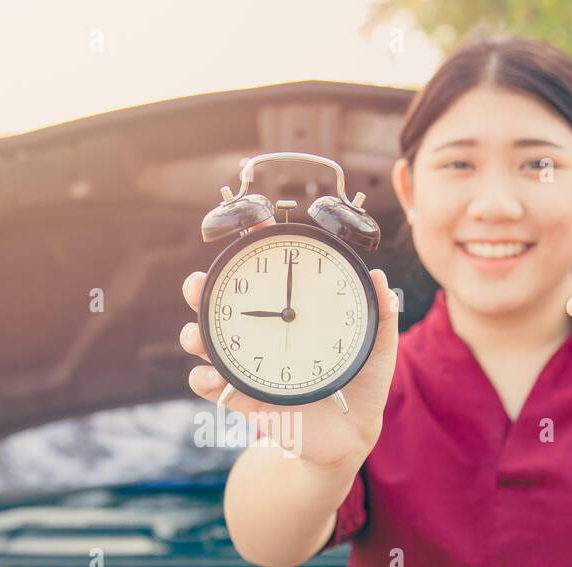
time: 9:00
